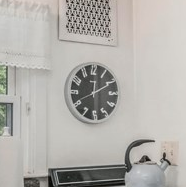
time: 12:10
